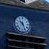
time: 10:26
